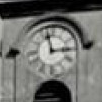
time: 2:57
